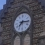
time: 7:15
